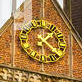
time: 1:22
